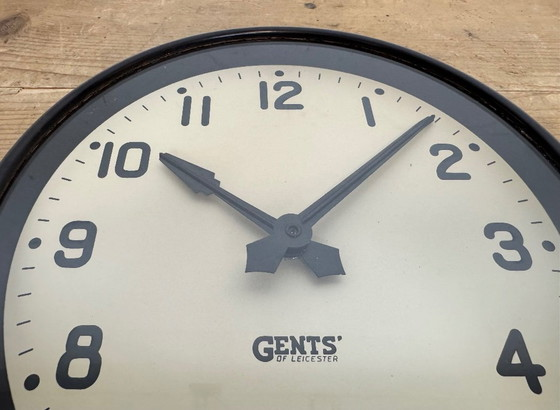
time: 10:07
